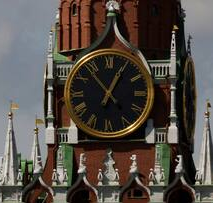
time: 12:53
